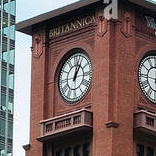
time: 1:02
